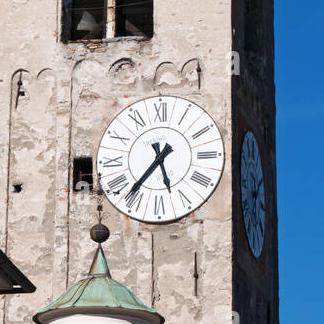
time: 5:36
